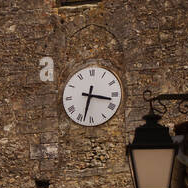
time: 3:32
